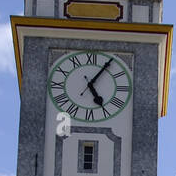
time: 5:05
